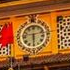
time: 2:29
